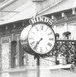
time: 7:36
